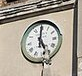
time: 5:00
